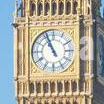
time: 10:56
